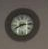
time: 8:14
